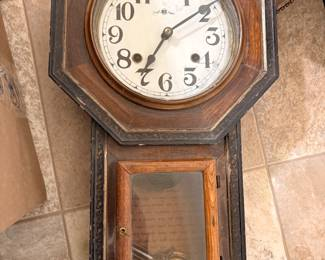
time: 7:08
